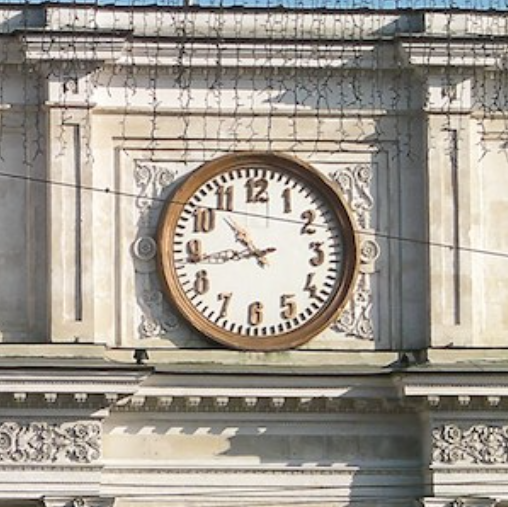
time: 10:43
